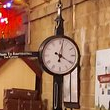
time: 4:02
